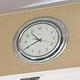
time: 10:40
